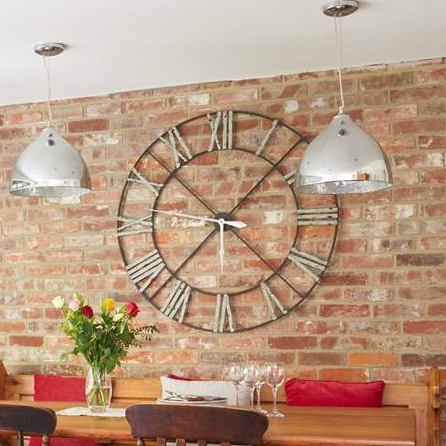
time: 1:37
